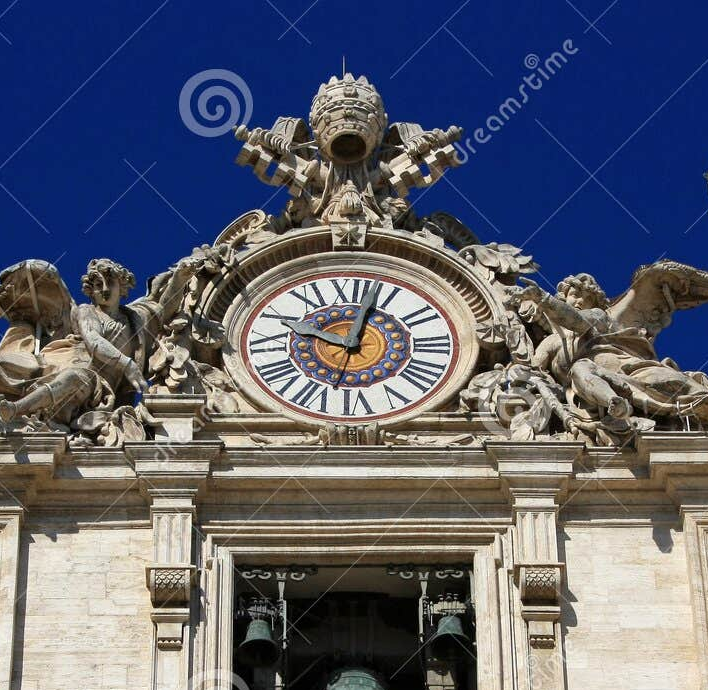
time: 10:02
